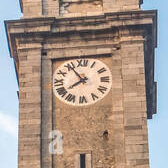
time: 7:54
